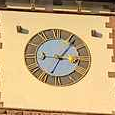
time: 9:06
